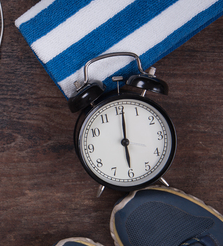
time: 6:01
